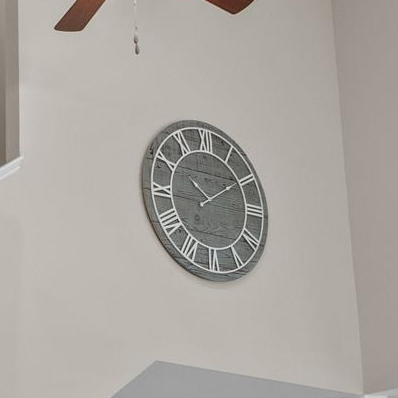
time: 10:09
